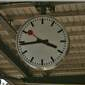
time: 3:43
